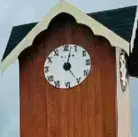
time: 5:02
